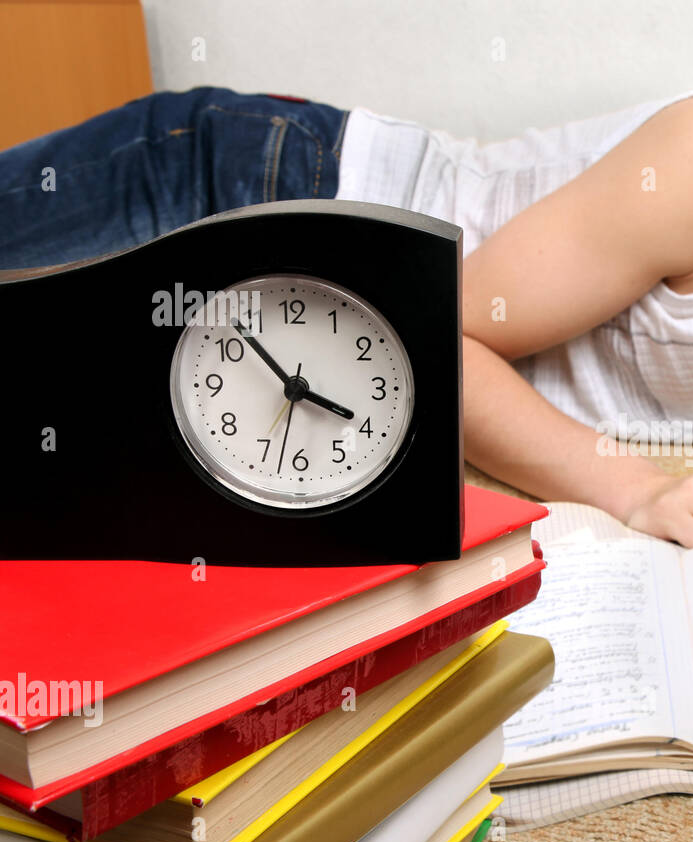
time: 3:52
